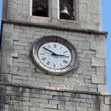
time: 2:50
